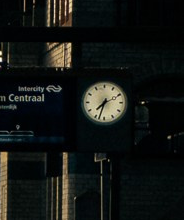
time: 7:33
